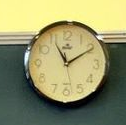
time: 11:09
